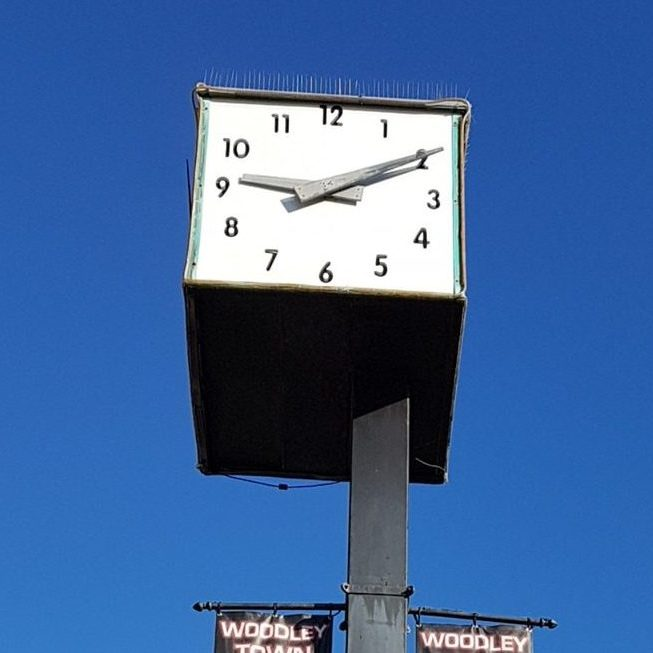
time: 9:10
